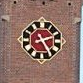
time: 2:24
